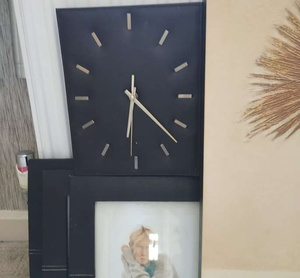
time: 6:22
